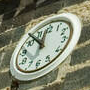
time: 11:52
